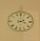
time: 2:18
